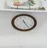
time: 11:25
